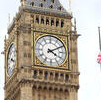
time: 4:10
